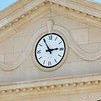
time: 2:54
